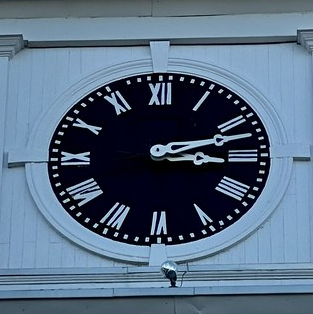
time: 3:12
